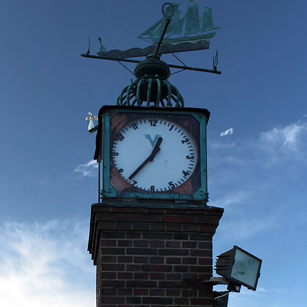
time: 12:36
